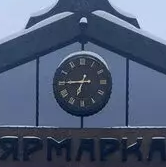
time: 6:45
